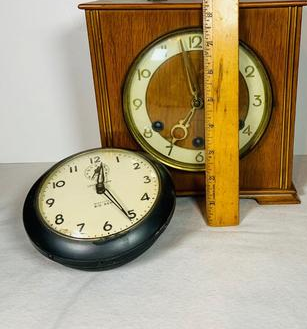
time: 12:25
